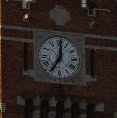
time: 7:00
